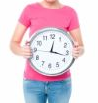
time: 12:16
